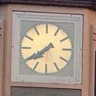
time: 7:39
